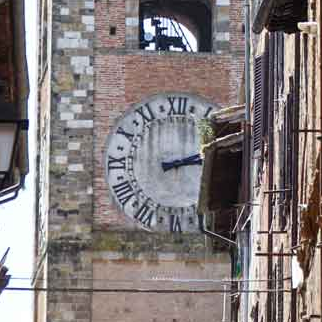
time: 2:12
